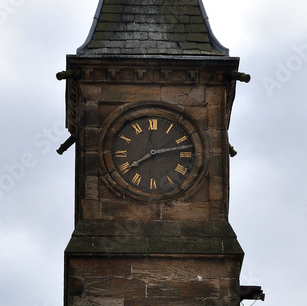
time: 8:12
